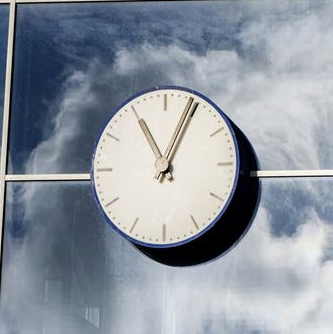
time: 11:04
